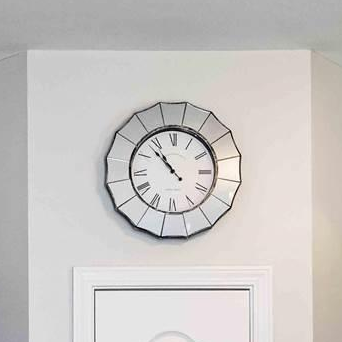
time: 10:53
